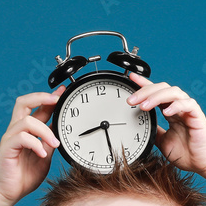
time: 8:28
